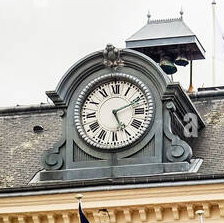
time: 5:11
